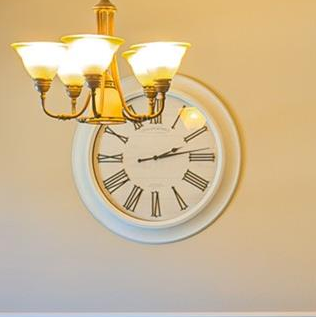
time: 2:13
